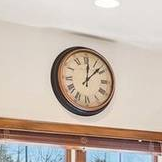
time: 12:07
